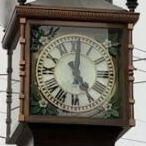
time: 5:00
